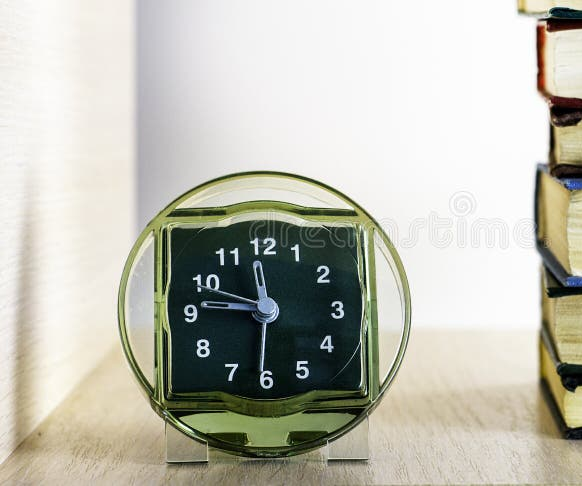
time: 11:46
